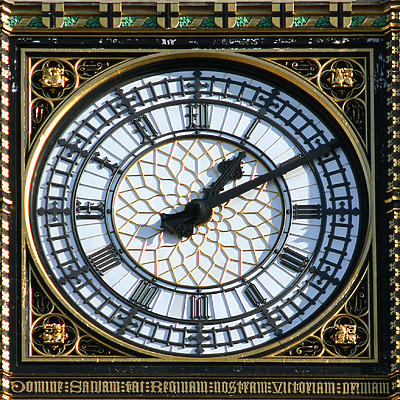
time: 1:09
